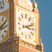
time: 3:11
